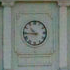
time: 10:44
